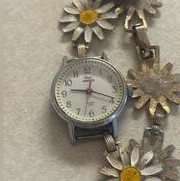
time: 9:18
